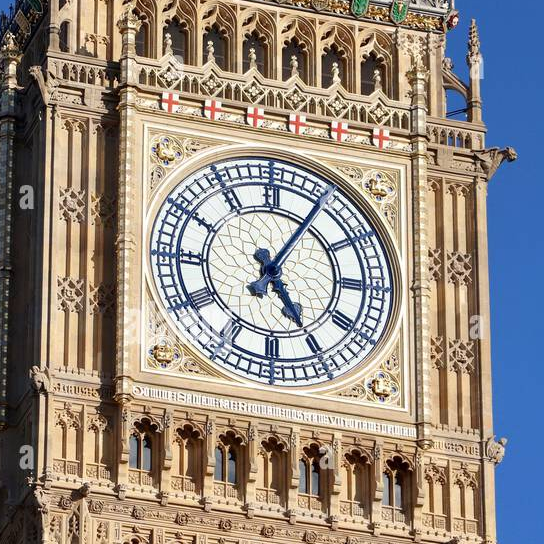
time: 5:05
